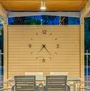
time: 7:23
